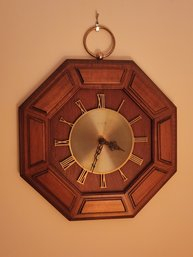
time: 3:33
